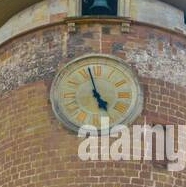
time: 4:57
